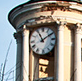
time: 11:09
